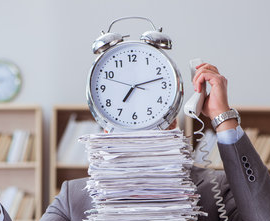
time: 7:12
